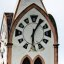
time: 6:05
